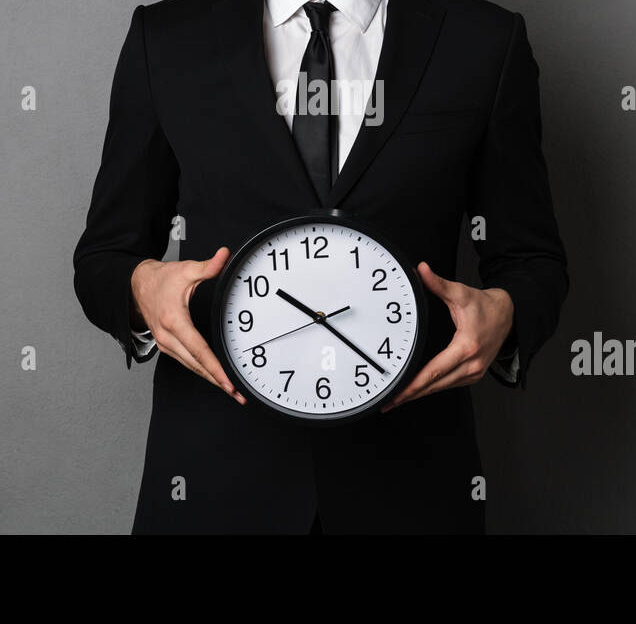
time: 10:22
